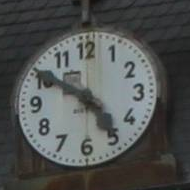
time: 4:50
